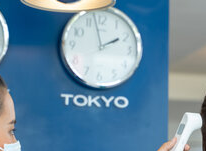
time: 1:57
